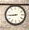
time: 8:45
